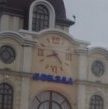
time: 8:23
